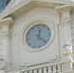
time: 12:22
